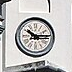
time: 10:14
